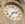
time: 2:35
